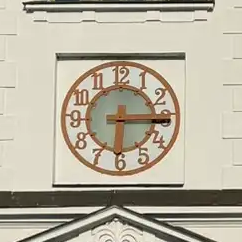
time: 6:15
